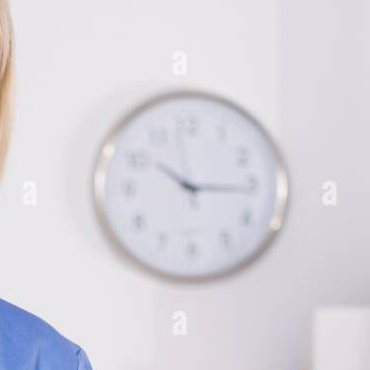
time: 10:15
